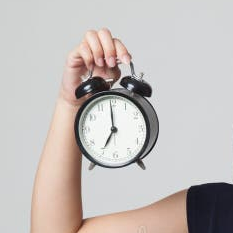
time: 6:59
